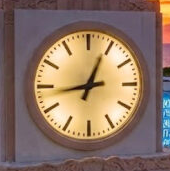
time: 12:43
